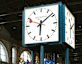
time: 6:08
